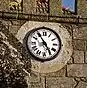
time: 4:54
